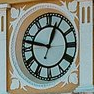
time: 12:47
